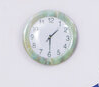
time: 1:29
